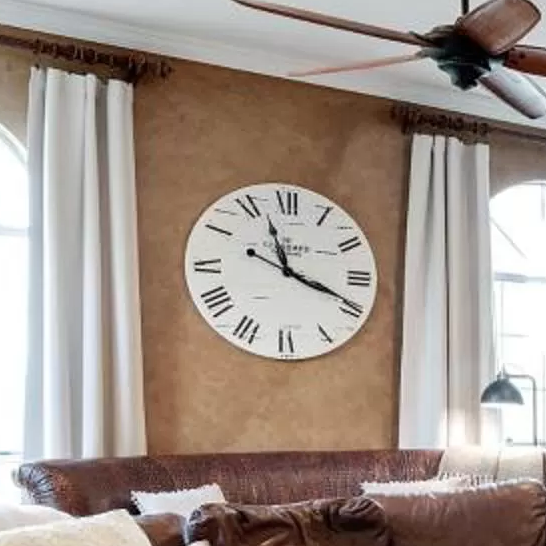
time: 11:18
